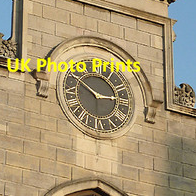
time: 2:50
